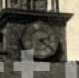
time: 2:21
